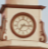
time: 7:15
